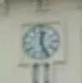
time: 12:26
